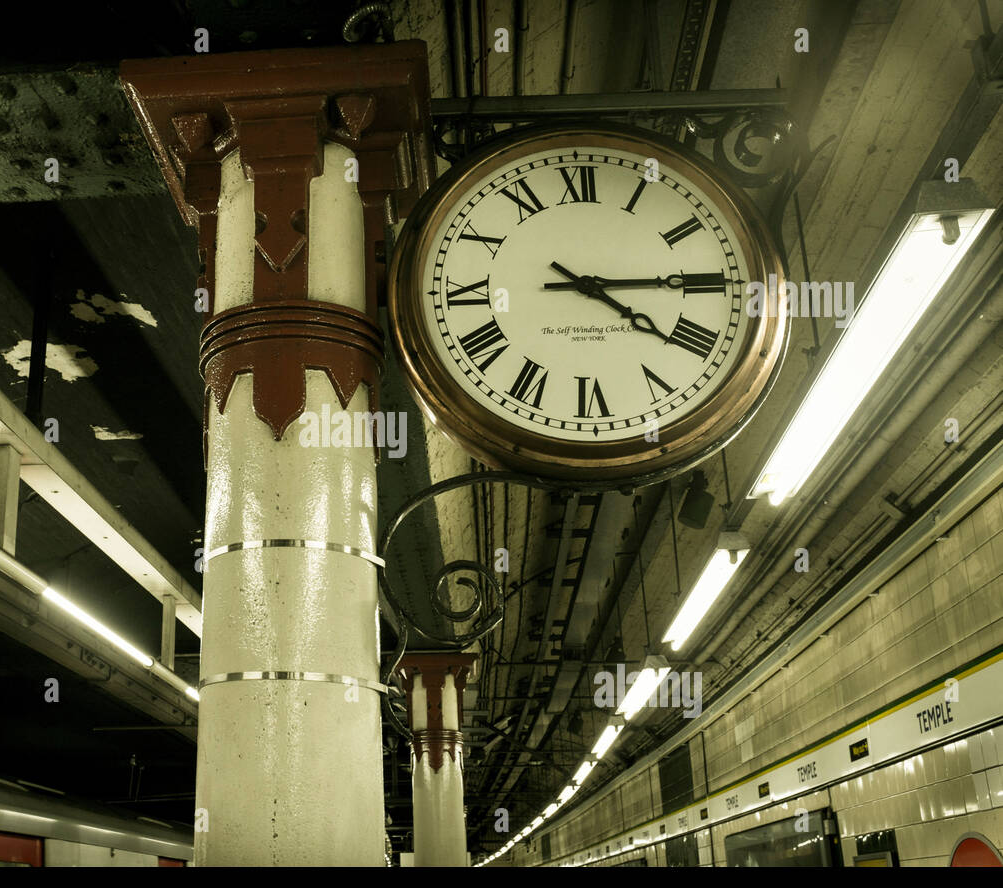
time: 4:14
